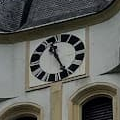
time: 11:25
